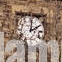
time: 2:01
